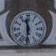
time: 11:30
